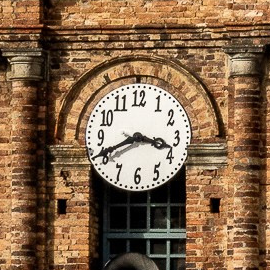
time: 3:40
